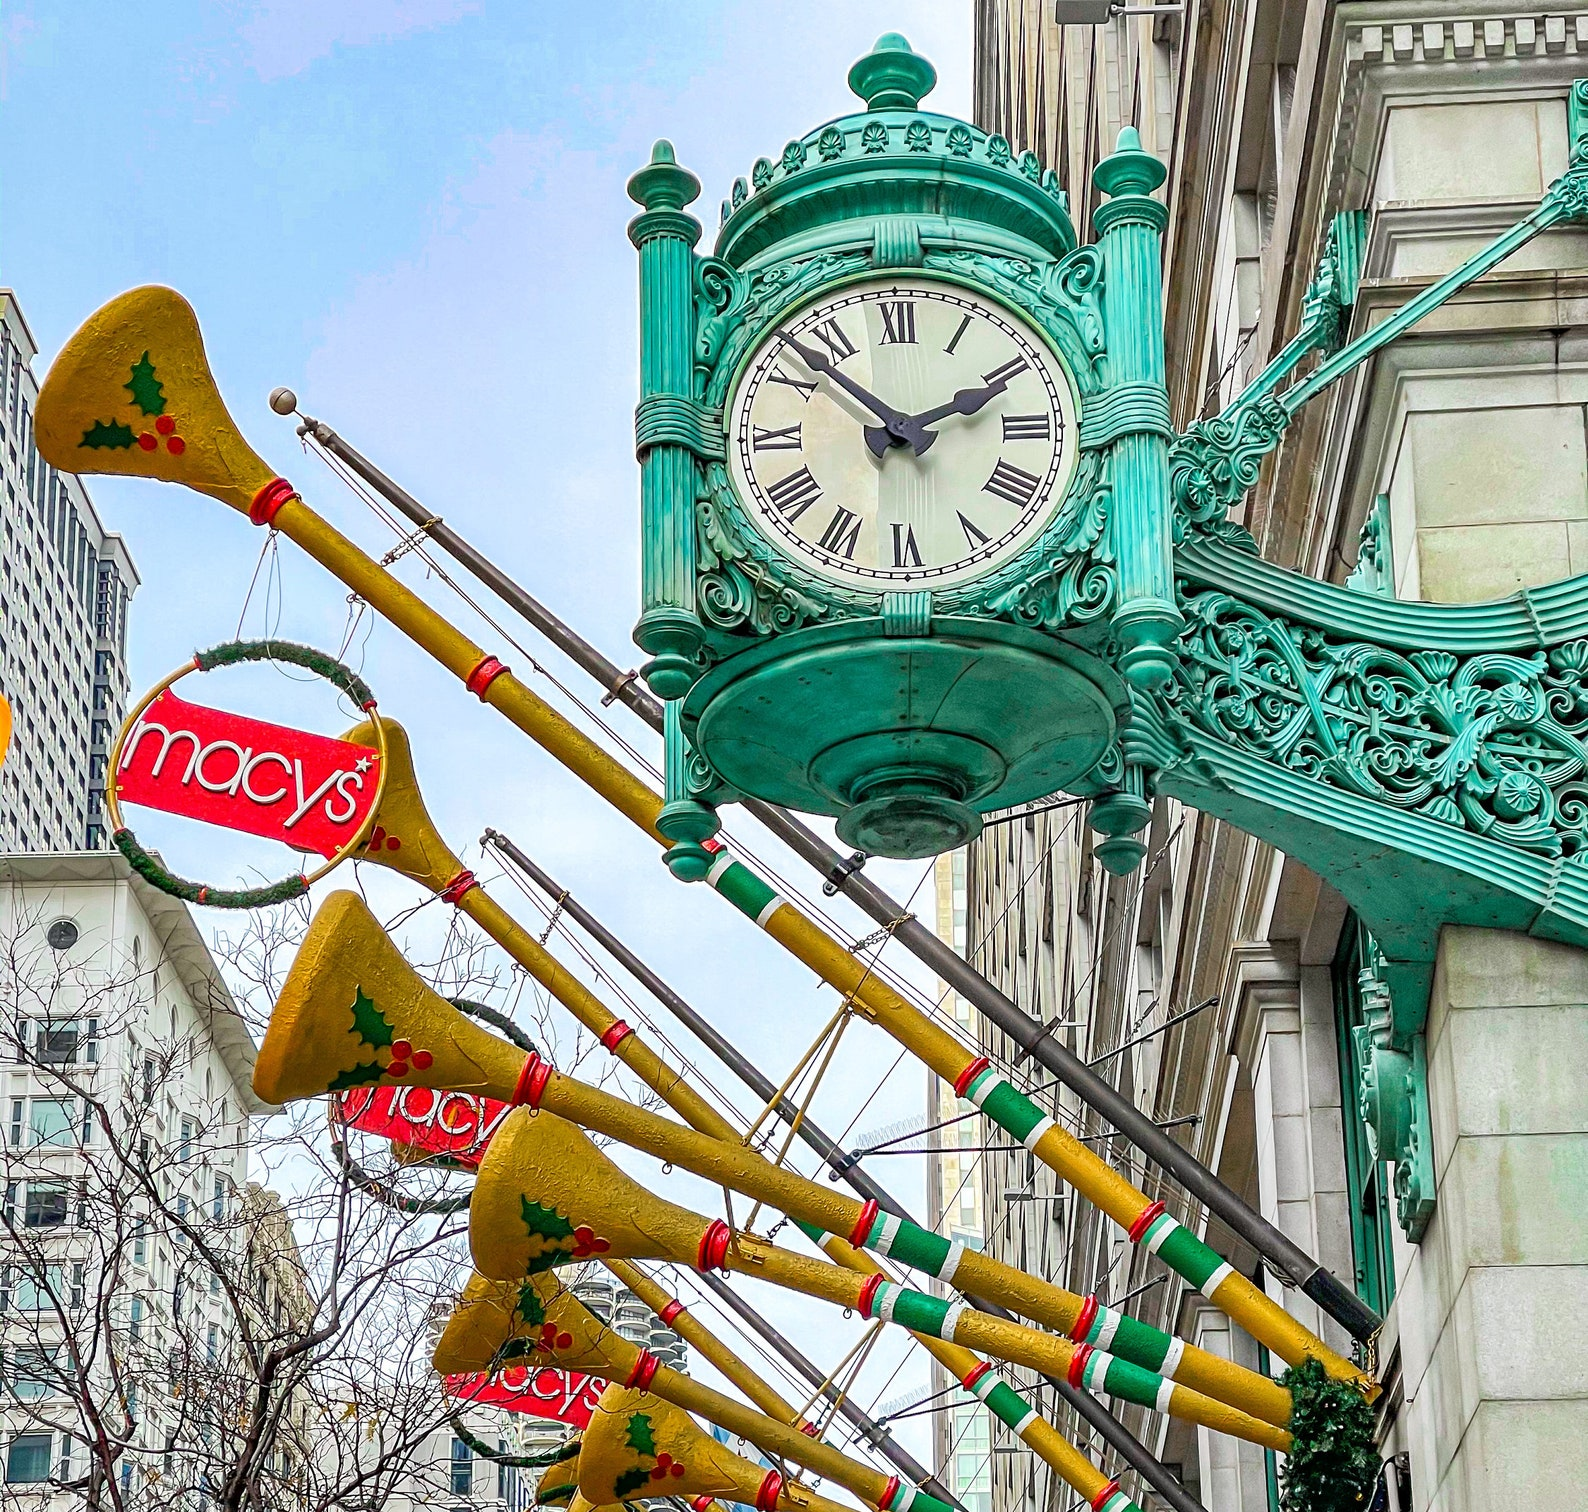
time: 1:51
